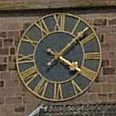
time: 4:07
